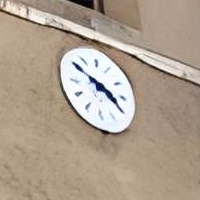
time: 3:50
